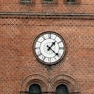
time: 1:21
